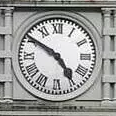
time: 4:50
